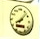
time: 8:07
